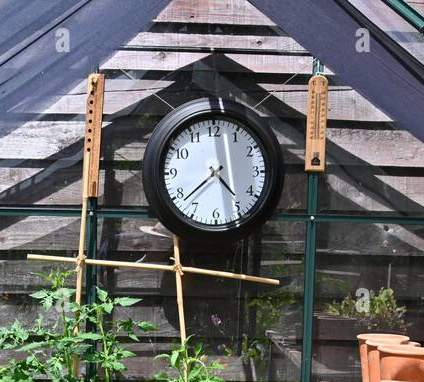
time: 4:38
